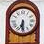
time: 6:29
